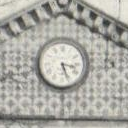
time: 3:26
